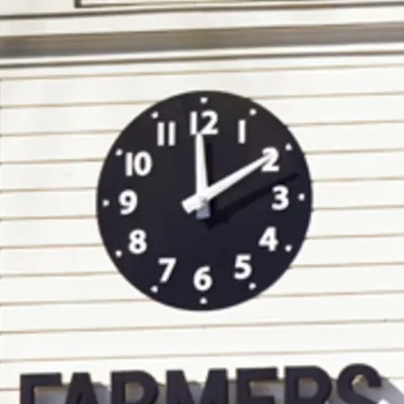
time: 1:59
